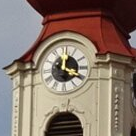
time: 12:19
